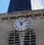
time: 11:07
